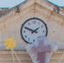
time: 1:49
